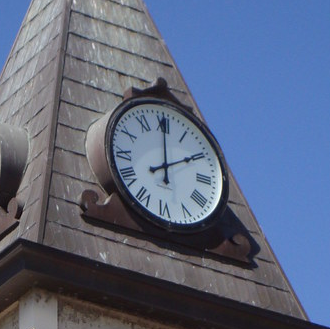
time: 2:00
